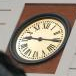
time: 9:15
